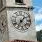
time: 7:07
